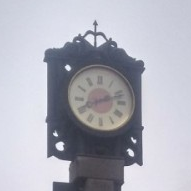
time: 8:12
